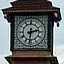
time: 2:31
